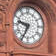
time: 9:34
